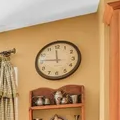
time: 11:46
